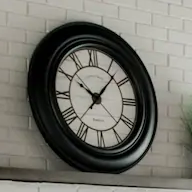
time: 10:07
